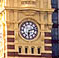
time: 6:12
